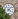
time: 4:07
